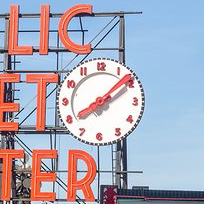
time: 8:08
